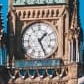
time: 1:26
